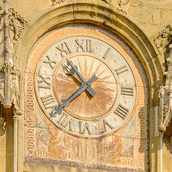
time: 10:37
